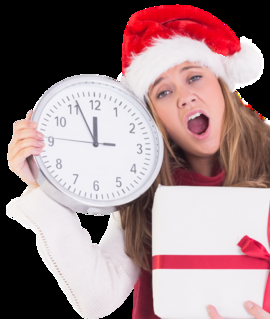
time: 11:55
